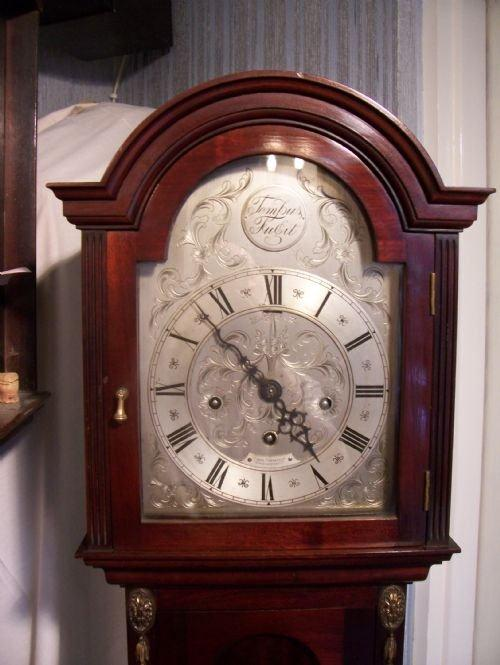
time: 4:52
